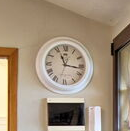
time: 11:16
